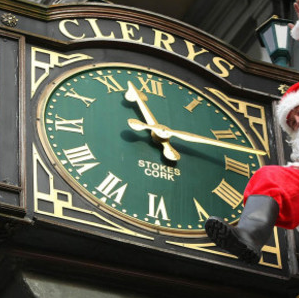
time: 11:13
